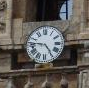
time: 4:46
